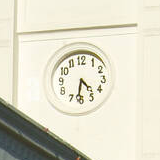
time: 4:31
